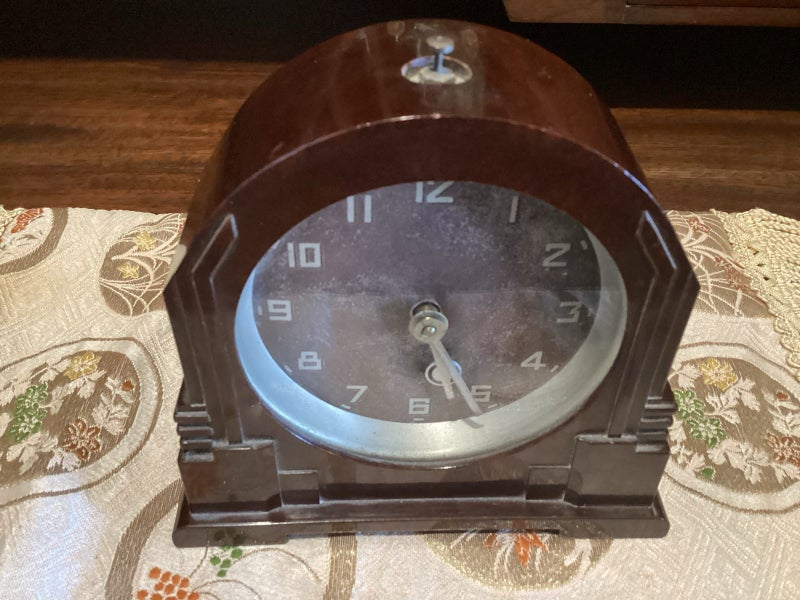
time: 5:26
